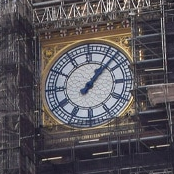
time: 1:07
